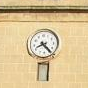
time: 8:23
